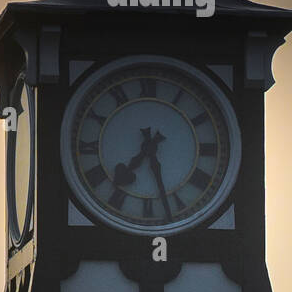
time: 7:27
